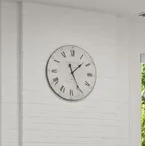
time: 1:25
